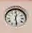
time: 12:28
